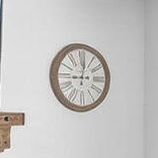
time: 9:01
